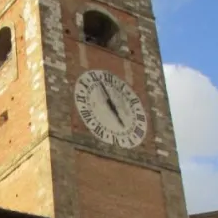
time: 4:56
